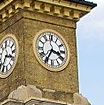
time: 3:35
